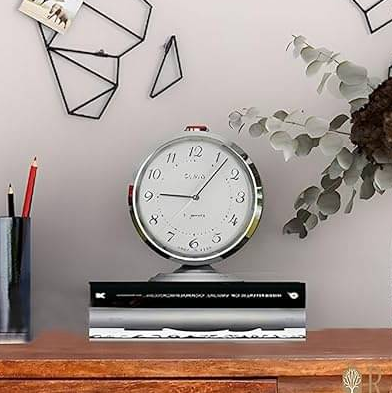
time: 9:06
